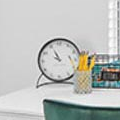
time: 9:55
